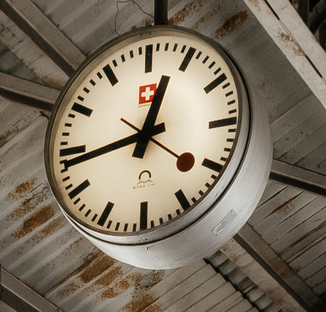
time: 12:43
